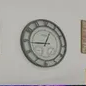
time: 12:44
